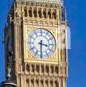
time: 3:30
